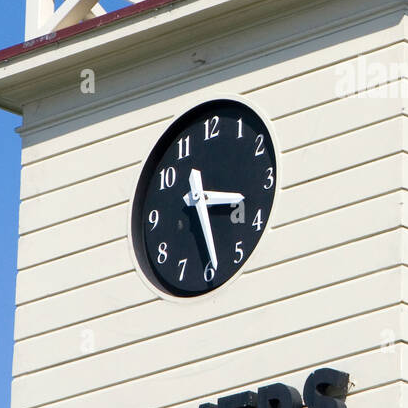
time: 3:24
